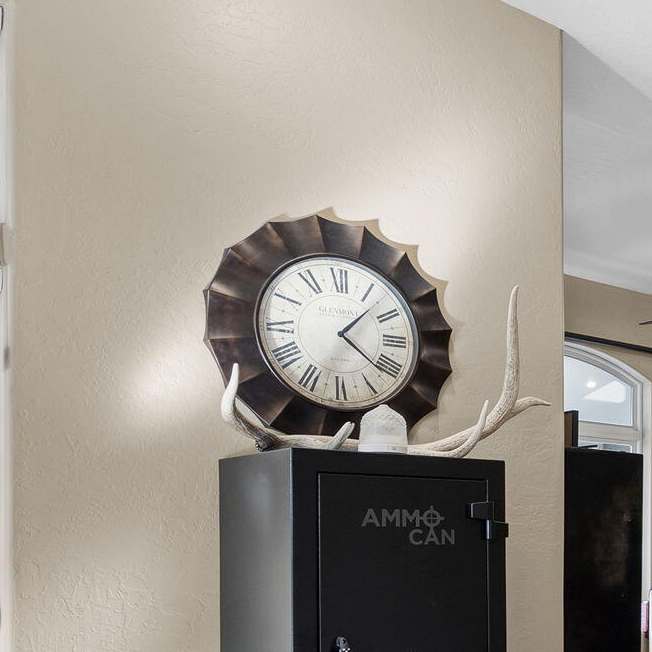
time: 1:21
